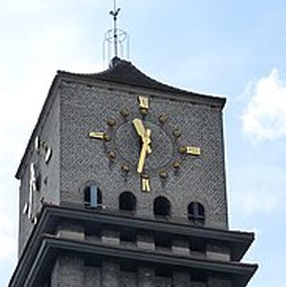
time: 11:32
